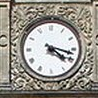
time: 4:17
